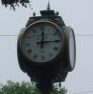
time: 12:14
